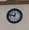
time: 12:47
